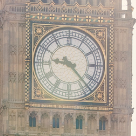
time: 9:22
